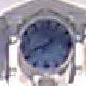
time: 1:41
